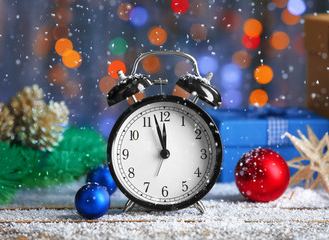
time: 11:57
